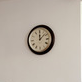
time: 12:07
